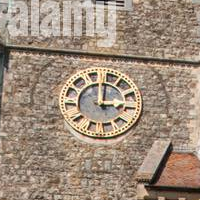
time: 3:00
